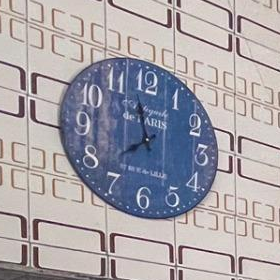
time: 7:58
